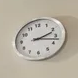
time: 2:17
